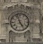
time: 4:57
